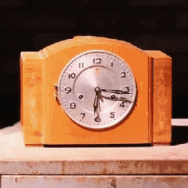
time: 6:16
